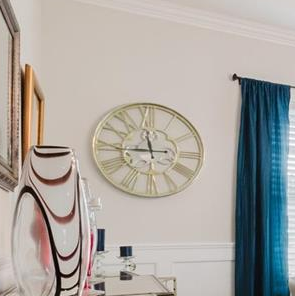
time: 11:44
